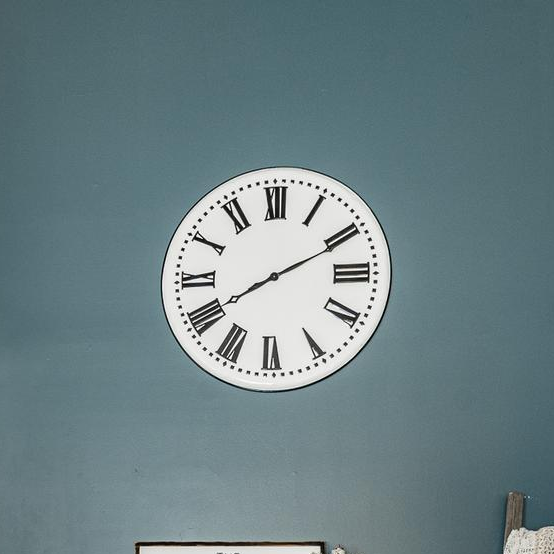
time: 8:10
